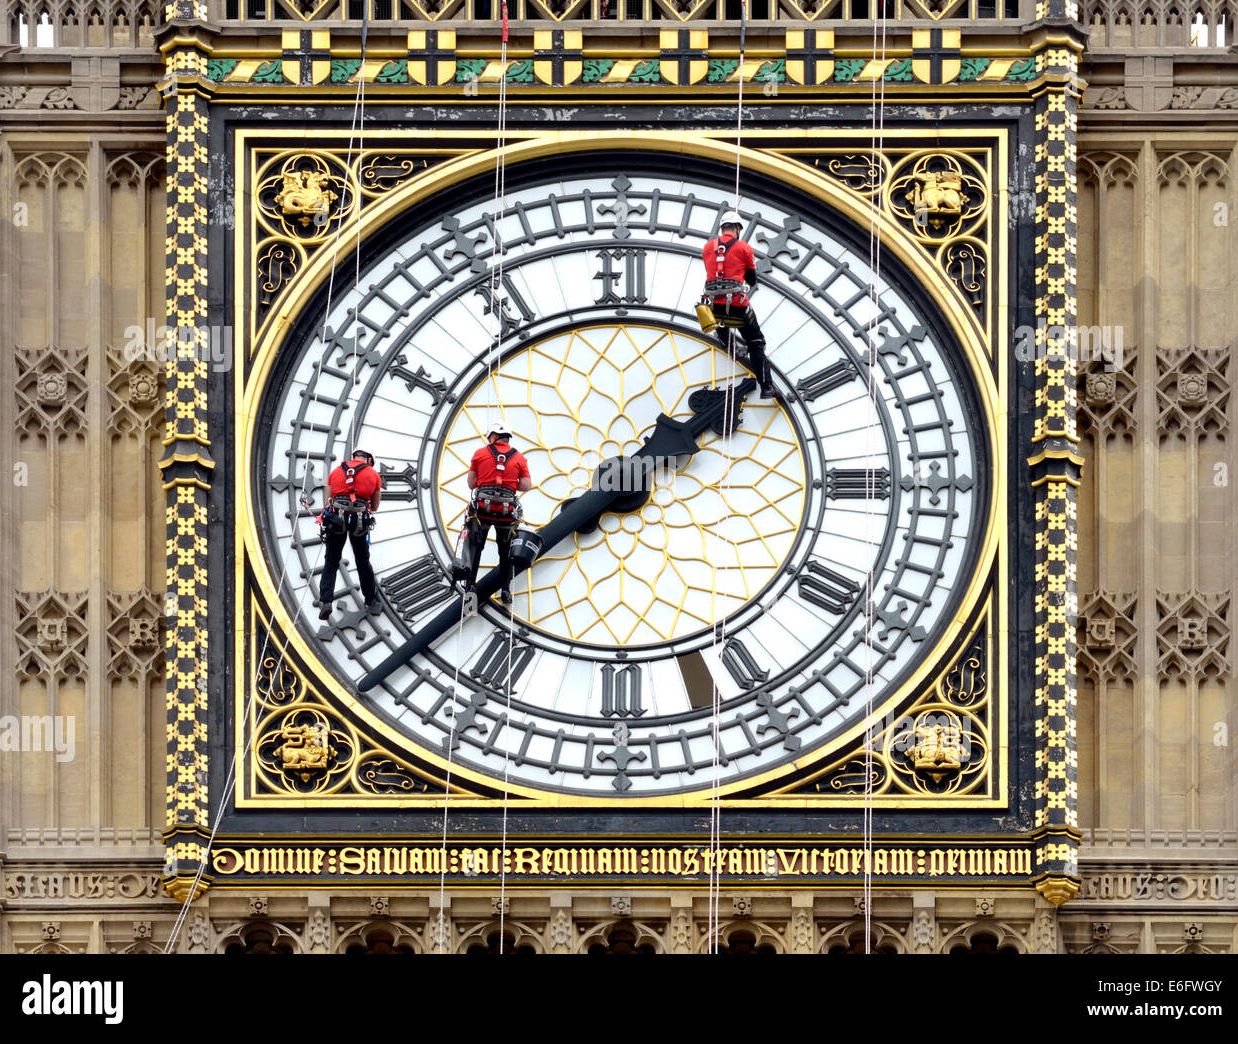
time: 1:38
